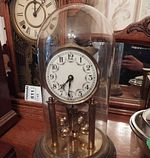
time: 7:31
